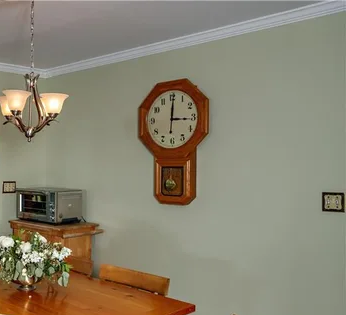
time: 3:00
